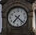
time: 7:22
